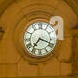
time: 7:18
